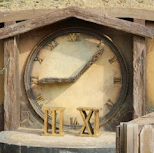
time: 9:07
